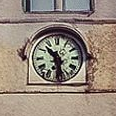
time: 10:28
